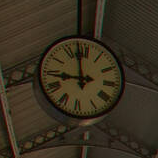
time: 8:57
